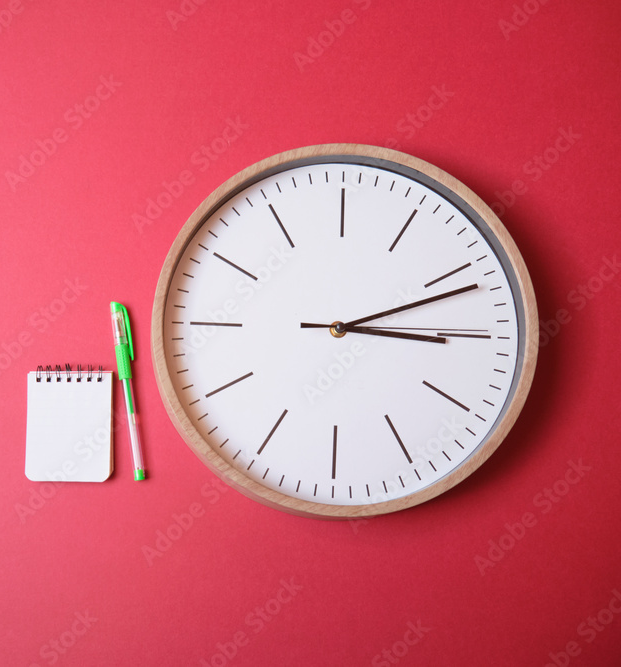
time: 3:11
